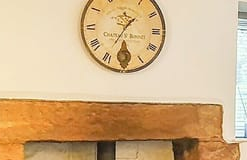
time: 1:35
